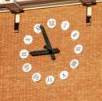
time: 8:56
